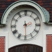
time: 2:29
